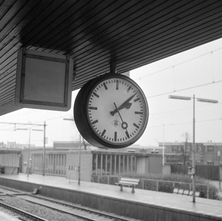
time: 2:08
